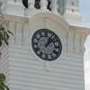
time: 1:08
